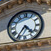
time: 4:35
